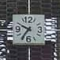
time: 9:35
